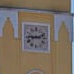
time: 9:12
